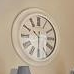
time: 10:30
